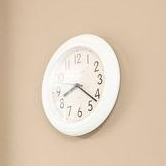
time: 8:21
